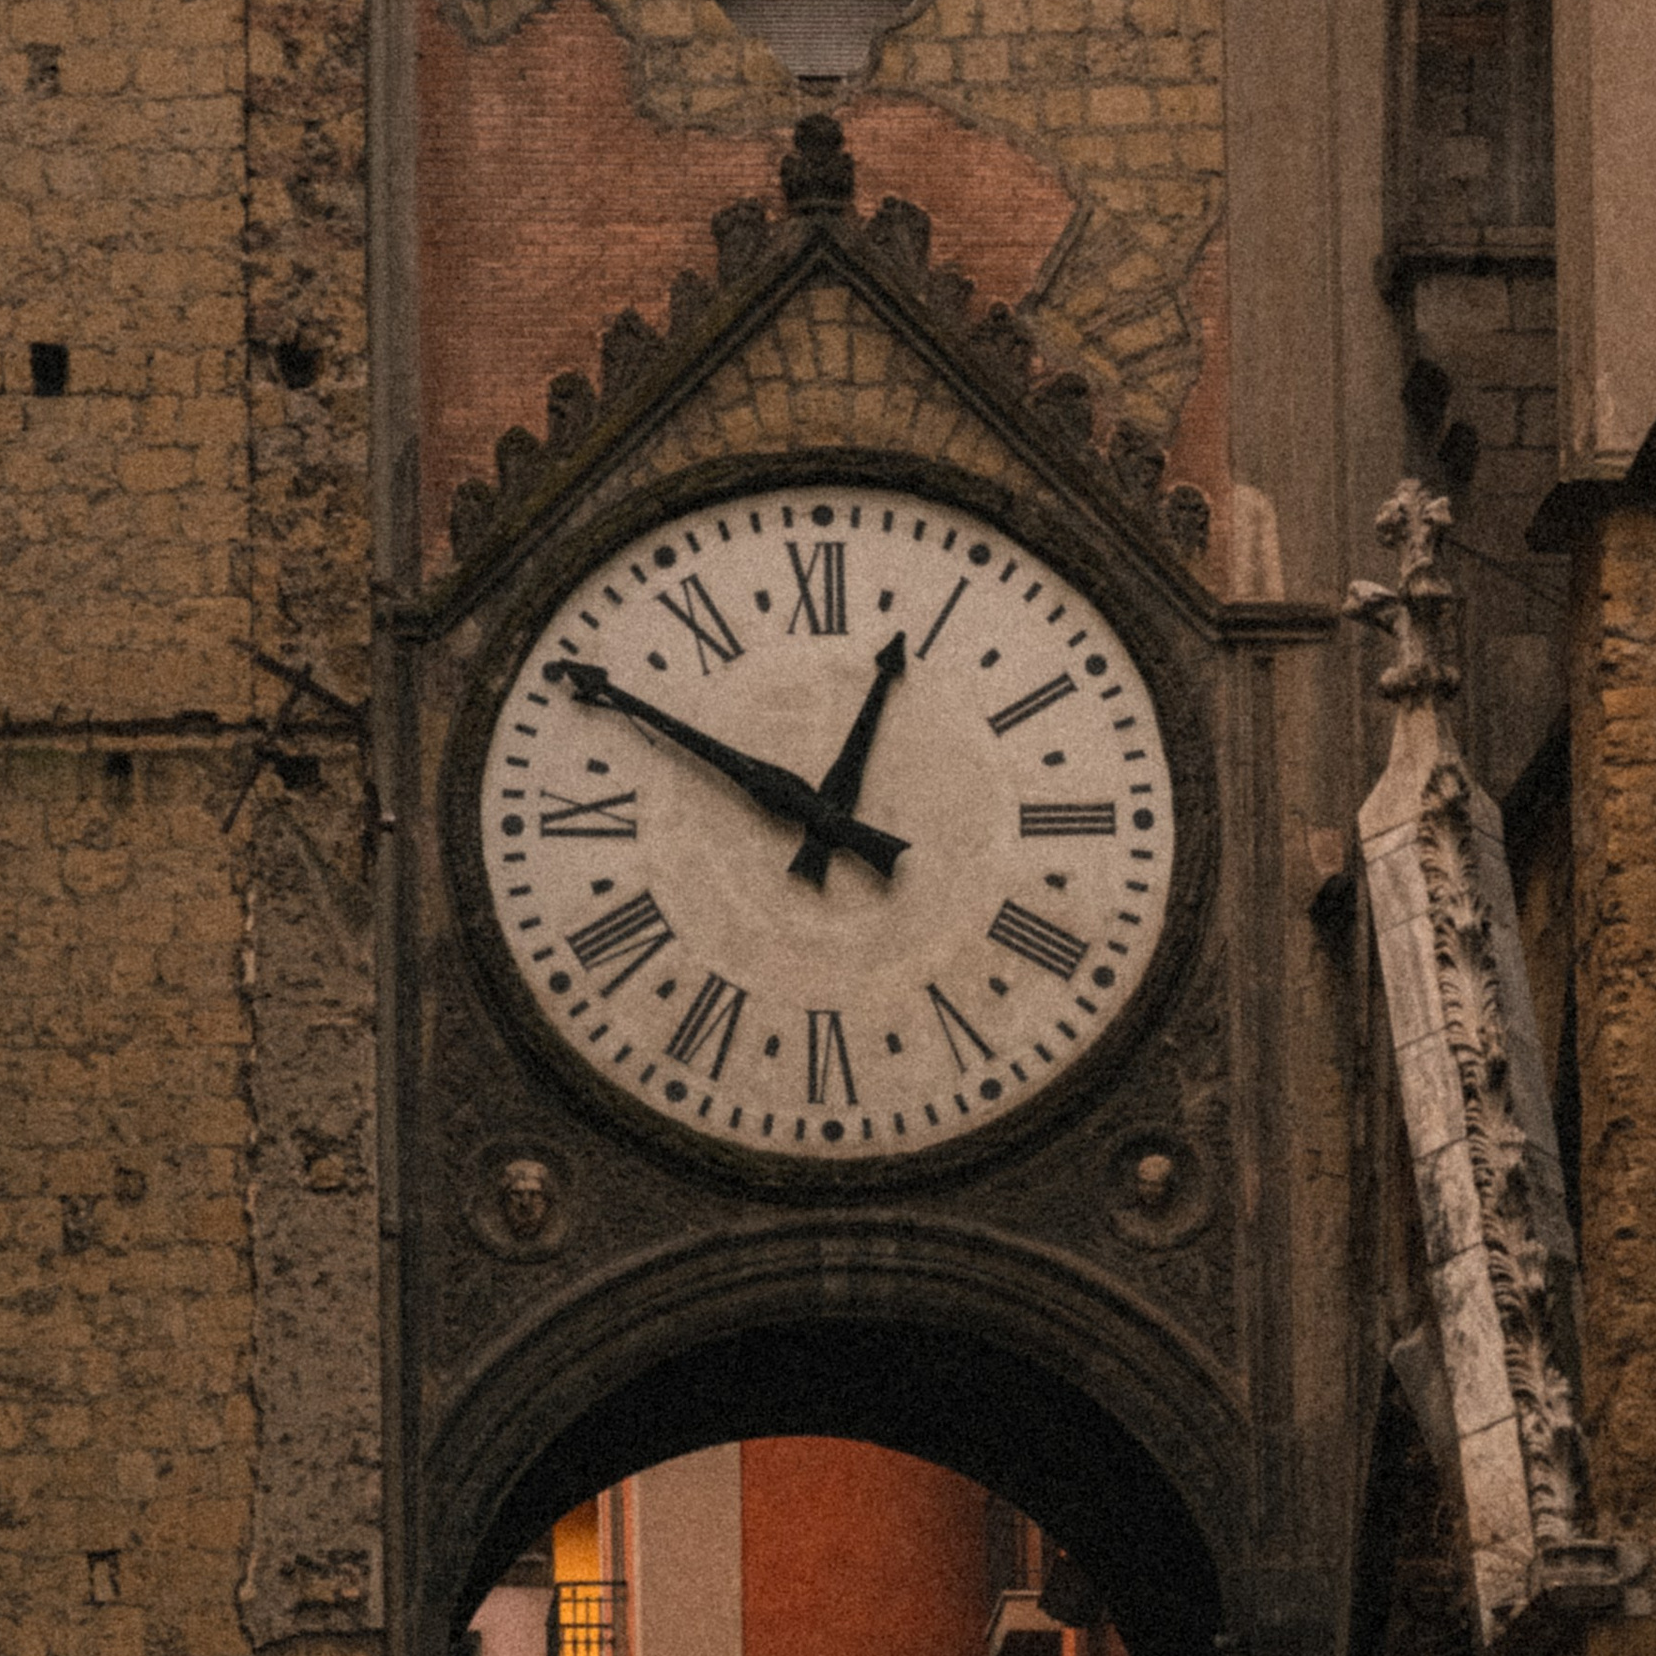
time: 12:50
